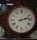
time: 2:12
